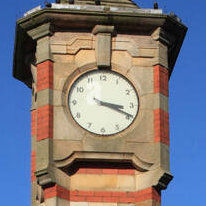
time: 3:18
